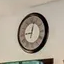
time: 9:02
